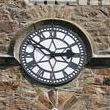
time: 2:50
